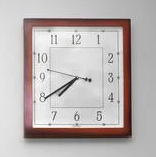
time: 7:39
